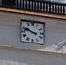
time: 9:48
